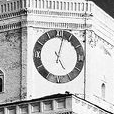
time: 5:02
